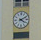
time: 4:10
